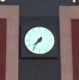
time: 7:35
